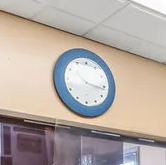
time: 3:16
